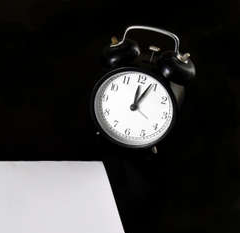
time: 12:04
